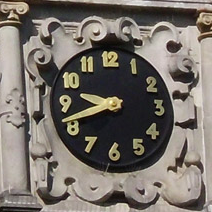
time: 9:42
